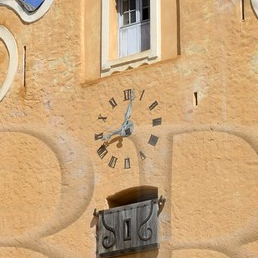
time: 8:01
